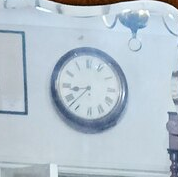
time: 8:37
